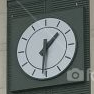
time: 1:31
